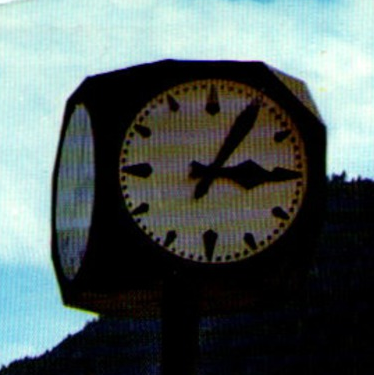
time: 3:05
